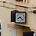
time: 8:21
